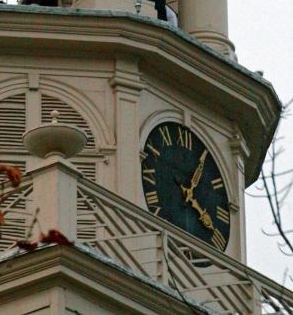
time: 4:04
